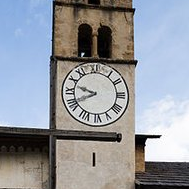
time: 9:41
